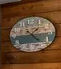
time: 1:22
